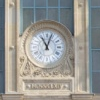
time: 11:03
